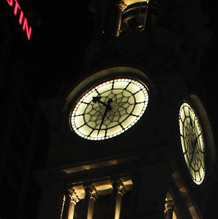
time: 10:32
